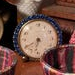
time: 6:40
